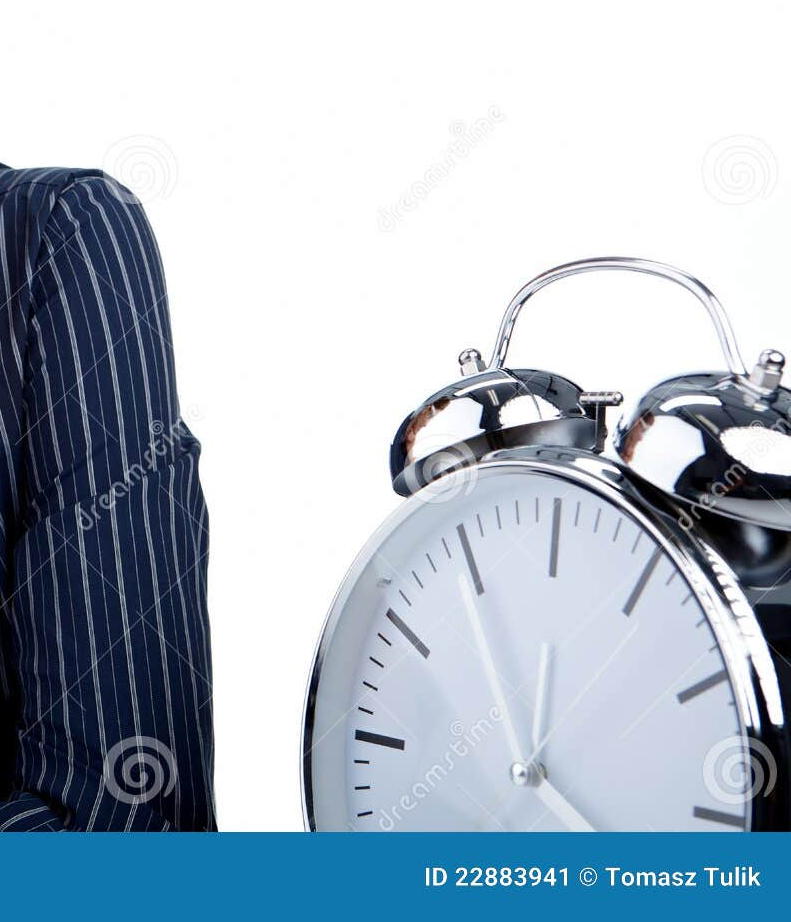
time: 11:54
